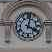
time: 4:02
